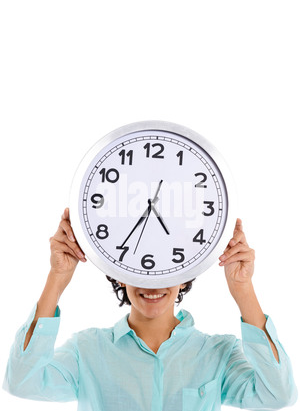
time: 4:35
